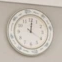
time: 12:20
